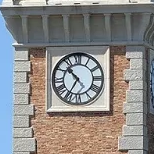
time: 10:35
